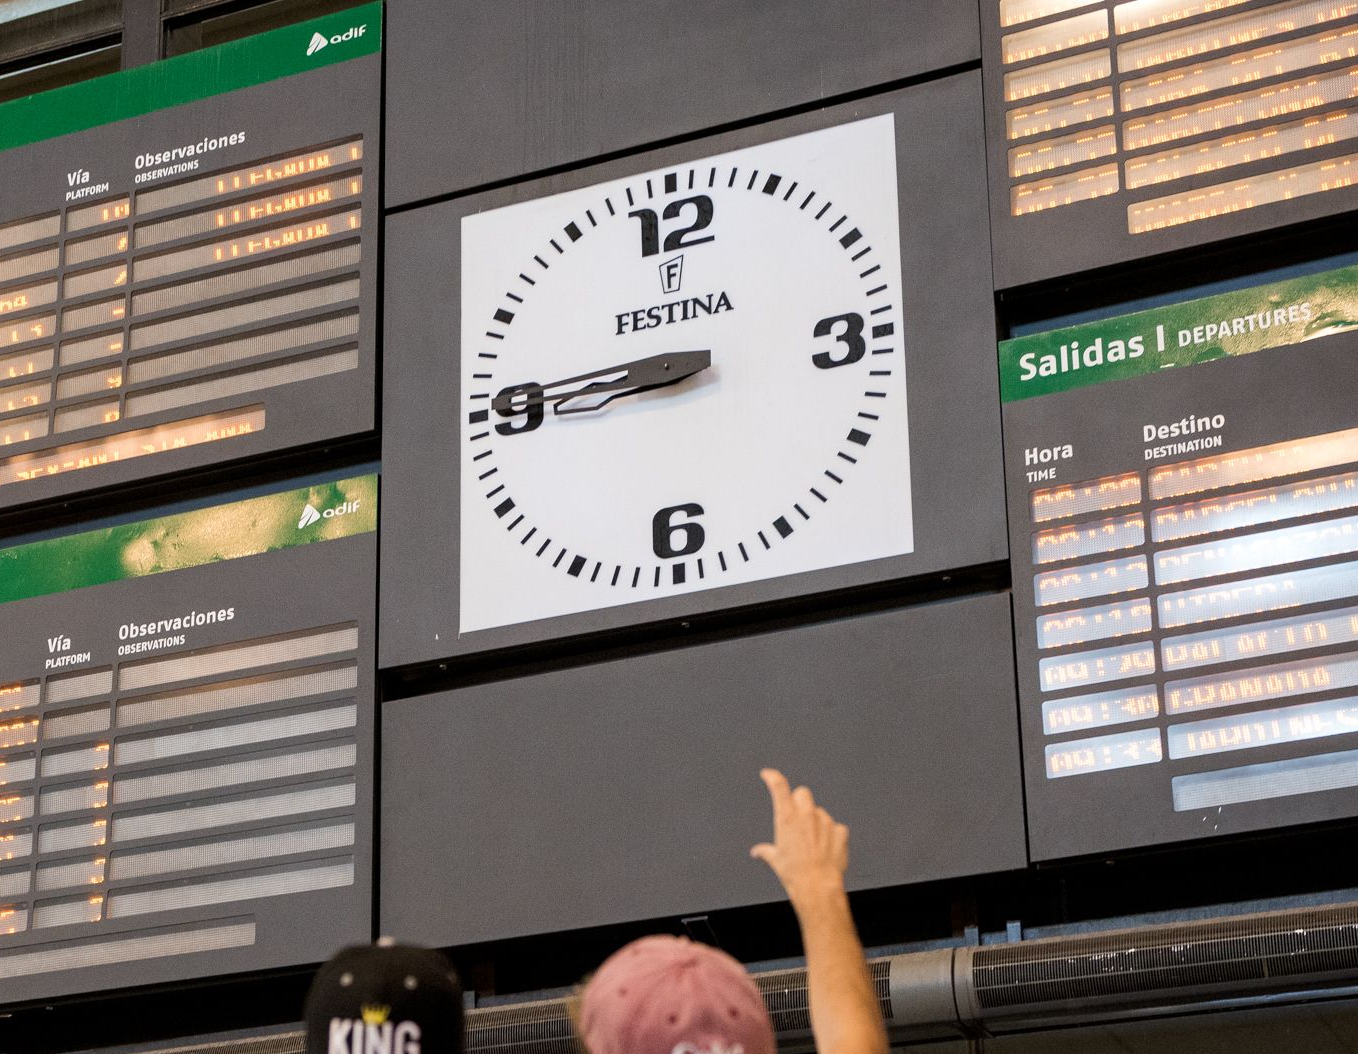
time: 8:45
